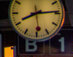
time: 8:14
